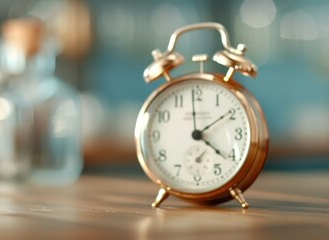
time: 4:09
